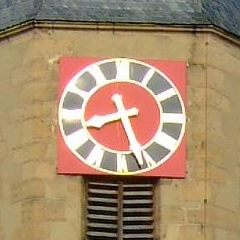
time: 8:26
